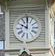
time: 10:00
